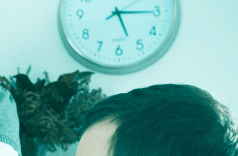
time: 5:15
